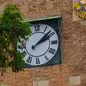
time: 2:08
